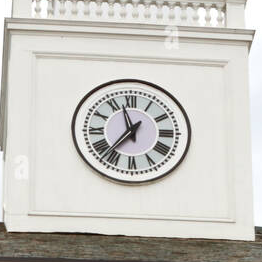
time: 11:36
